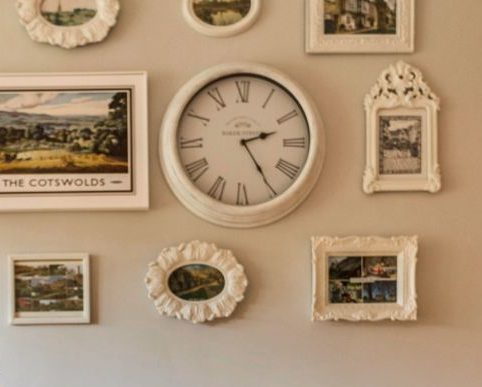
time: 2:24
